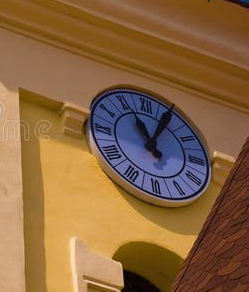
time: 11:04
